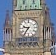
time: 9:36
